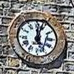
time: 12:03
